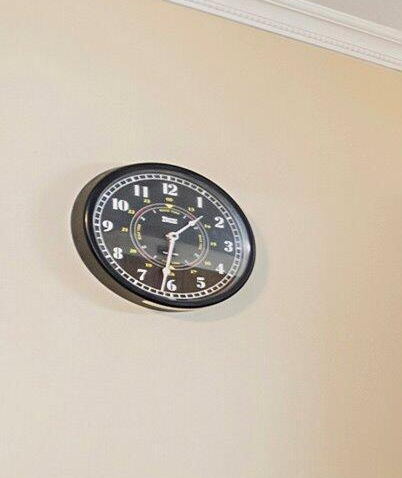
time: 1:31
